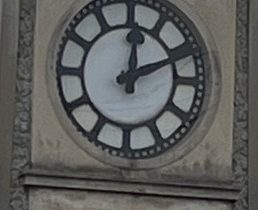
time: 12:11
